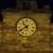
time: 10:40
